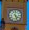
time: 4:26
